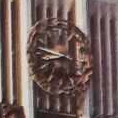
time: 8:47
